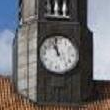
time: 10:58
